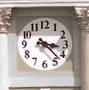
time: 3:22
